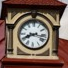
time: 8:16
